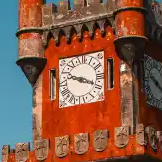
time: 9:18
